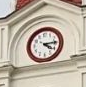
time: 4:14
